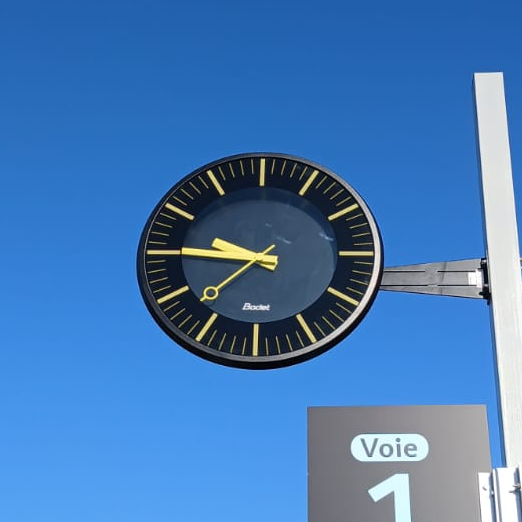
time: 9:45
